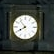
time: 7:53
